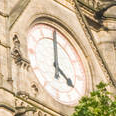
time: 4:01
